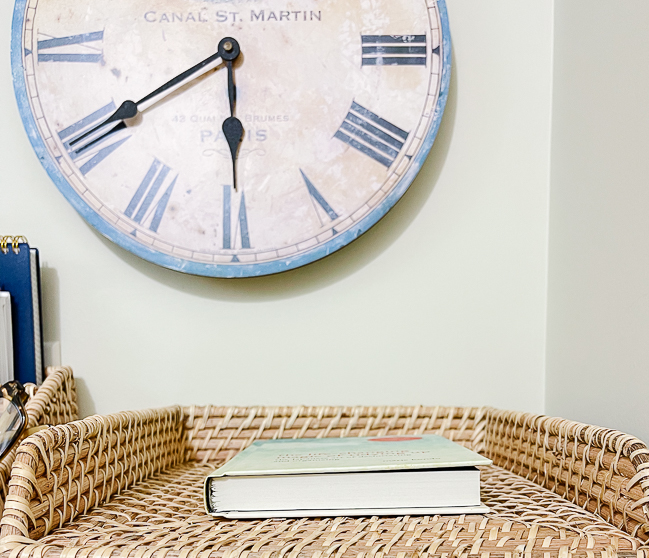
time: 5:40
